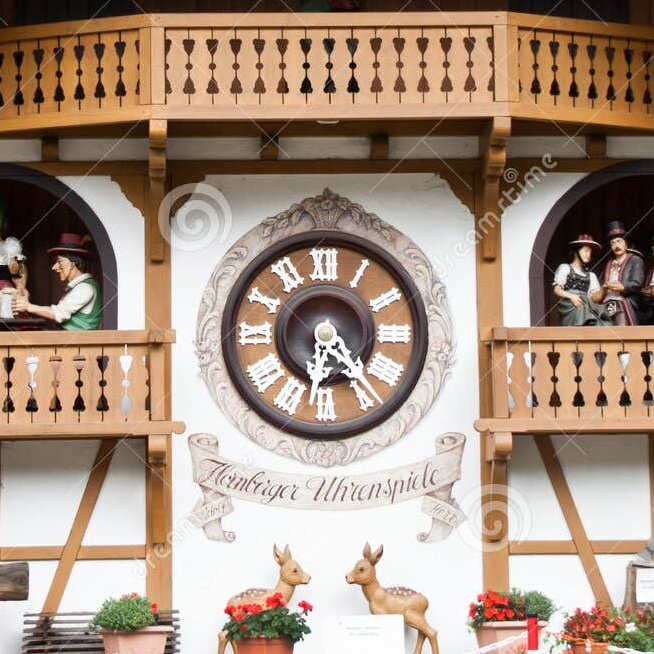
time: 6:23
